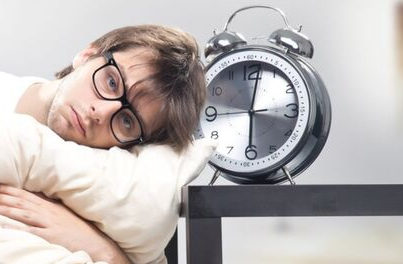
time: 6:01
